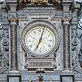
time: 7:02
